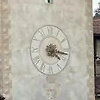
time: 4:16
